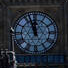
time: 11:56
